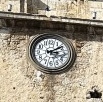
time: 3:09
